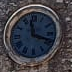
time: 11:18
